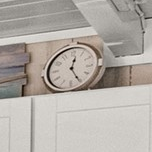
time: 12:25
